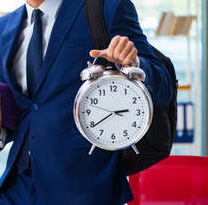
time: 2:39
